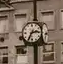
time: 2:35
